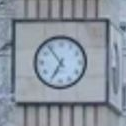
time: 6:53
